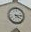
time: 4:13
